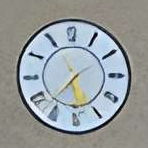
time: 5:37
